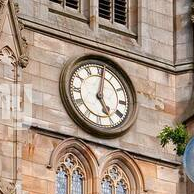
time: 5:01
